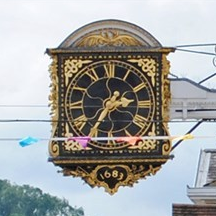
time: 2:35
